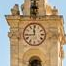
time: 11:43
